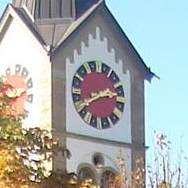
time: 2:40
